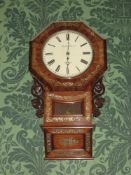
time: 6:00
